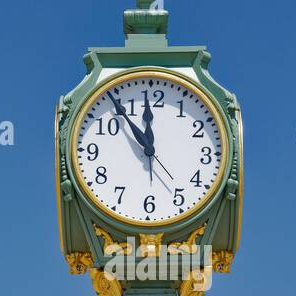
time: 11:54
